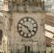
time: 4:49
